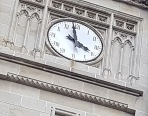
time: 3:58
